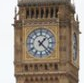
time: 1:22
